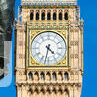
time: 4:32
